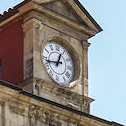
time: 12:43
